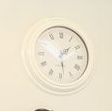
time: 1:28
